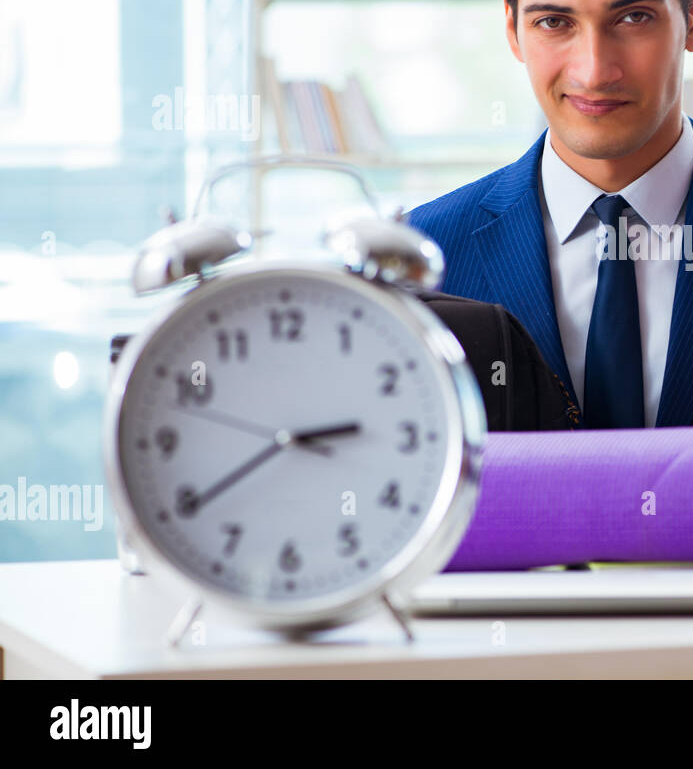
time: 2:39
